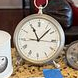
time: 11:07
